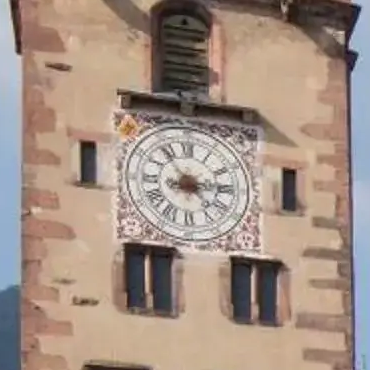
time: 2:53
